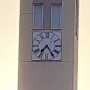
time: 7:24
